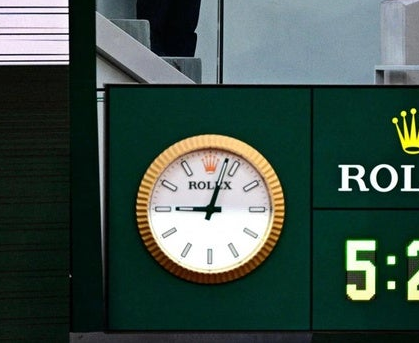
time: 9:02
